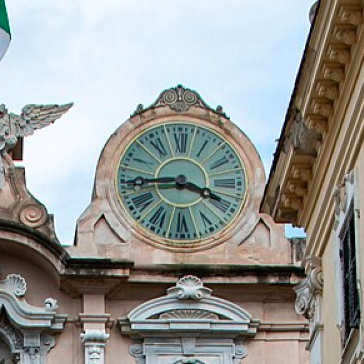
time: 3:44
